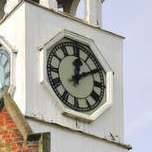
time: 12:10
